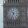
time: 10:34
